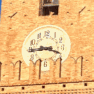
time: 3:44
